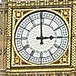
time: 2:59
